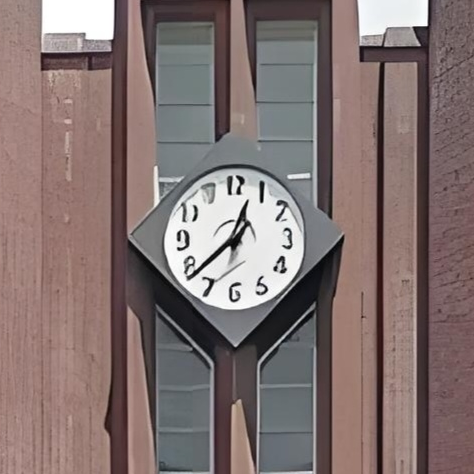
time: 12:38
